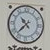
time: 10:37
